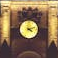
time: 4:12
